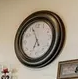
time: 6:56
